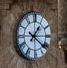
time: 1:21
